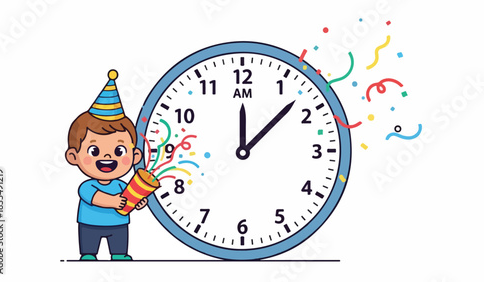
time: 12:07
